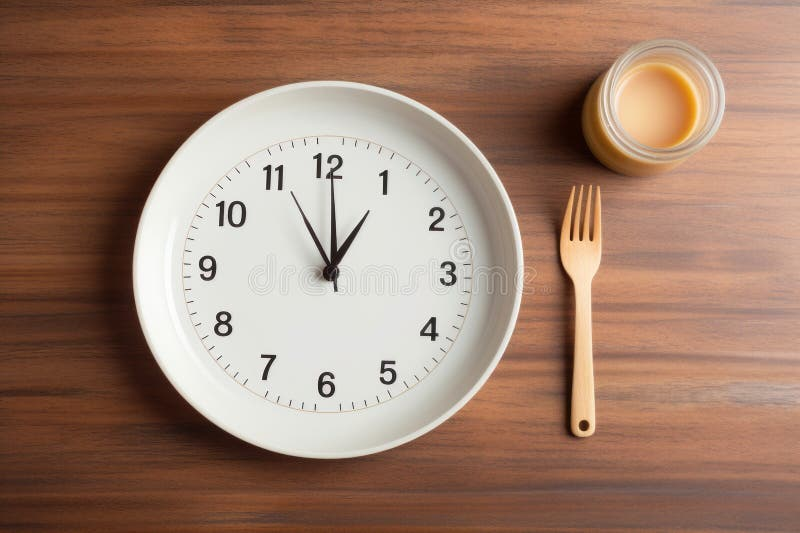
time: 1:00
